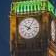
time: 10:05
